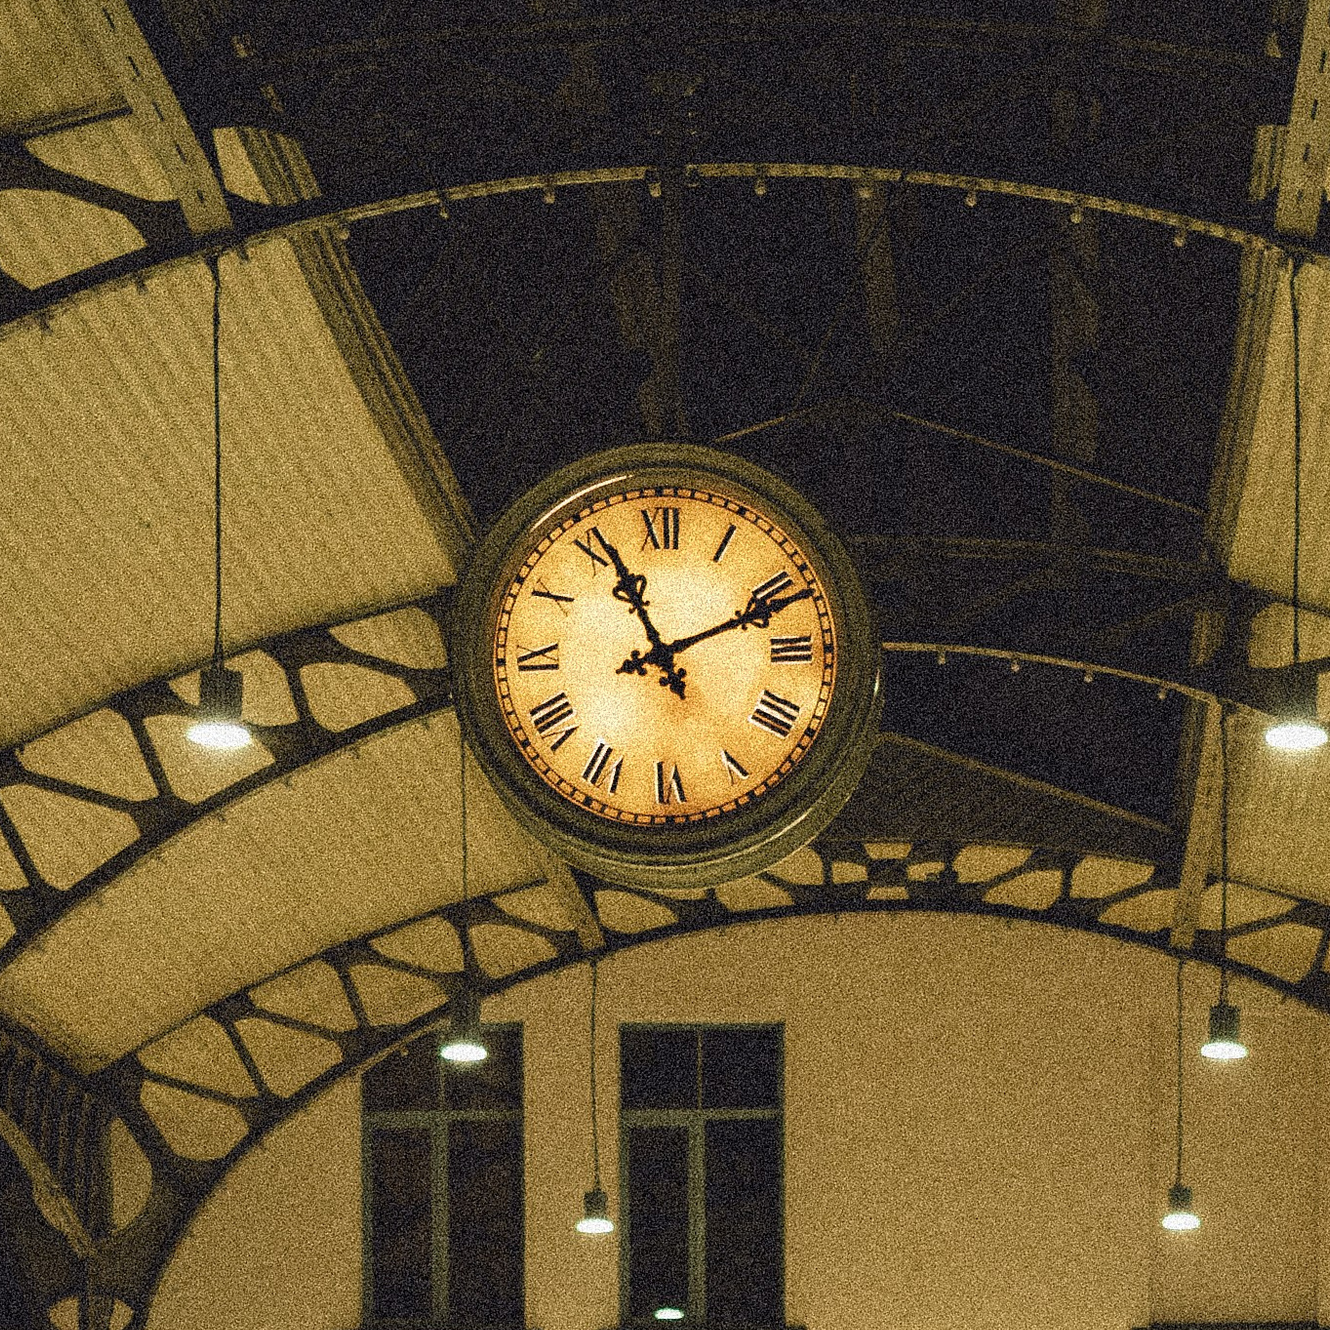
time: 11:11
